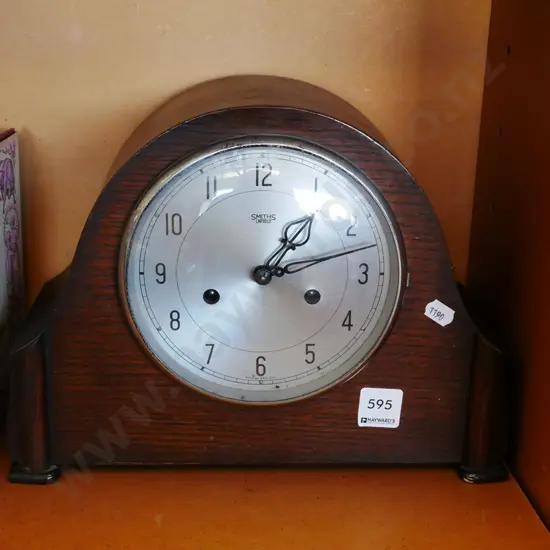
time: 1:12
